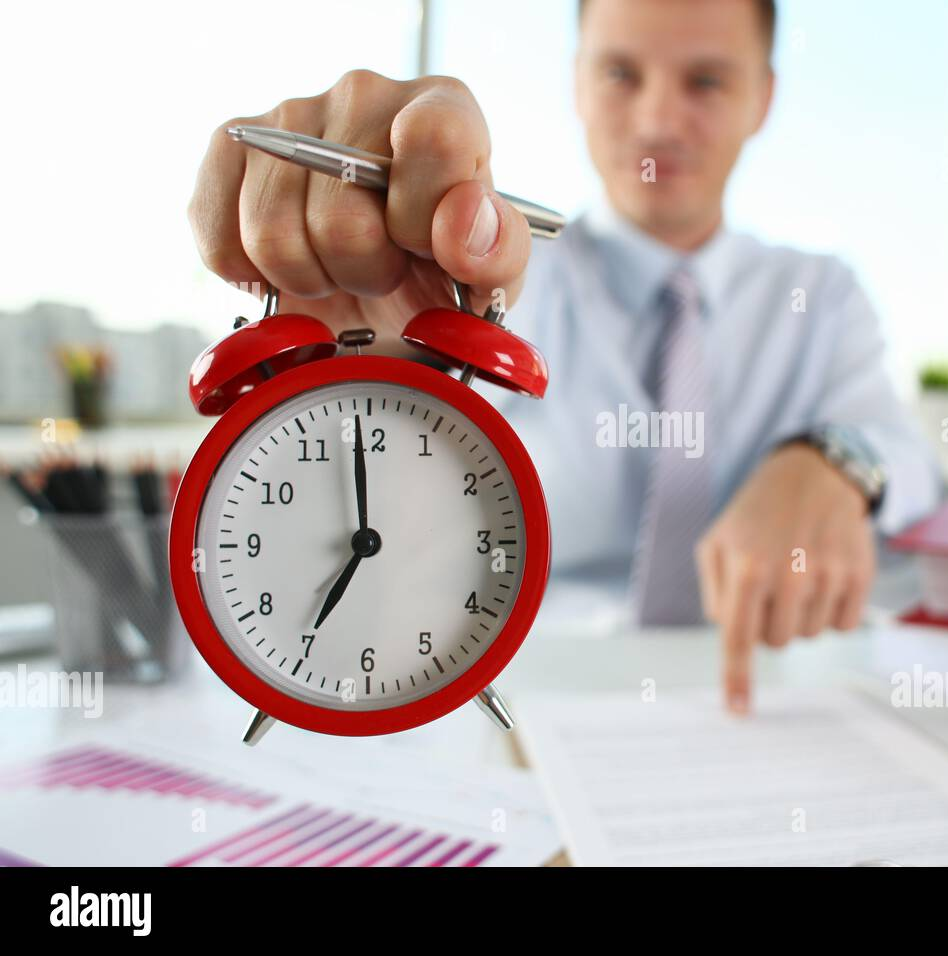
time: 6:59
